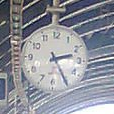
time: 2:24
